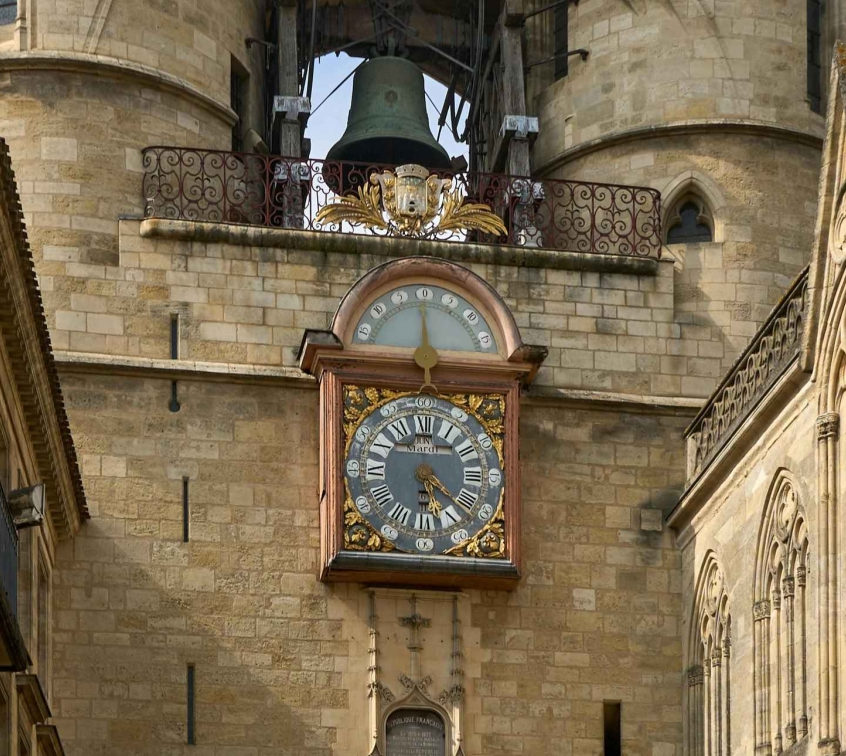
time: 5:21
